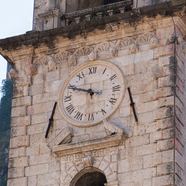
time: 9:49
